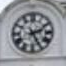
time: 2:25
